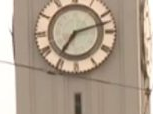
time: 7:12
